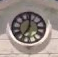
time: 7:01
